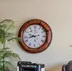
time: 9:42
